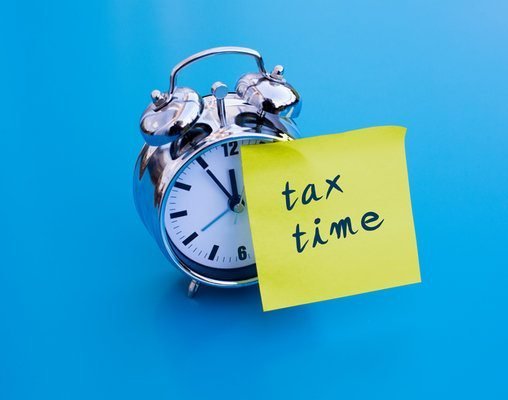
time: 11:54
